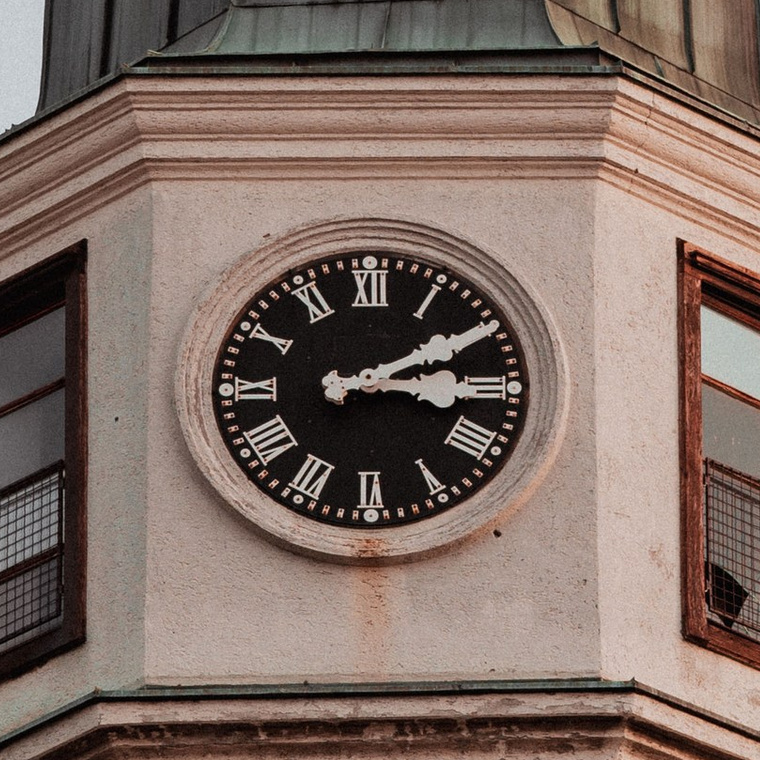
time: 3:10
